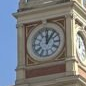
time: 12:06
